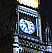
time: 10:28
